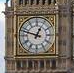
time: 12:48
